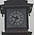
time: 9:34
